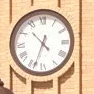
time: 4:33
